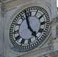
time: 4:57
